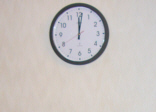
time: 12:01
